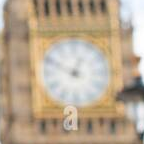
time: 12:49
